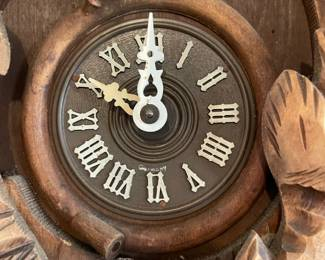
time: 11:50
